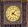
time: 4:07
